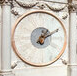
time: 1:10
